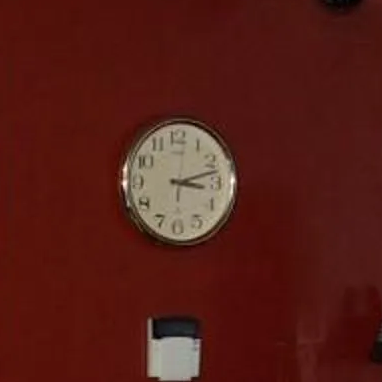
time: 3:12
